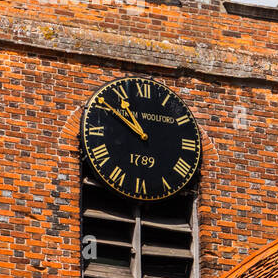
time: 10:50
